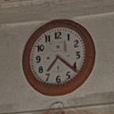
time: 7:21
